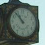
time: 10:53
